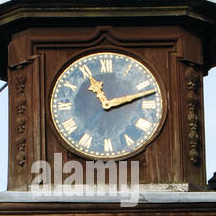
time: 11:12
